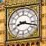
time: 8:17
